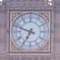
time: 6:48
